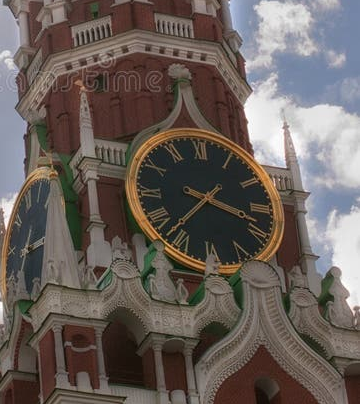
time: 3:37
